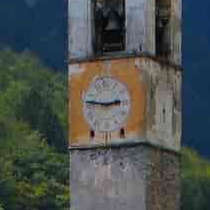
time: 2:46
